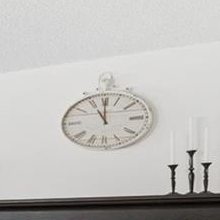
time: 11:00
